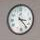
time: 3:23
